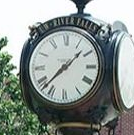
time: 1:37
